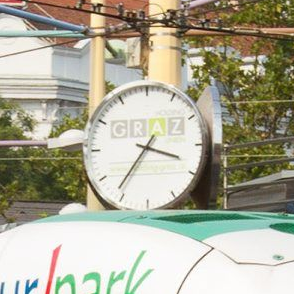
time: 3:36
